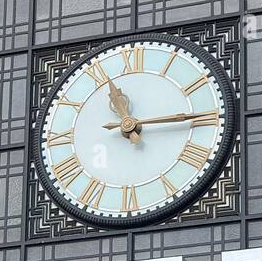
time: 11:14
